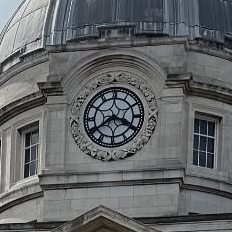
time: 3:40
